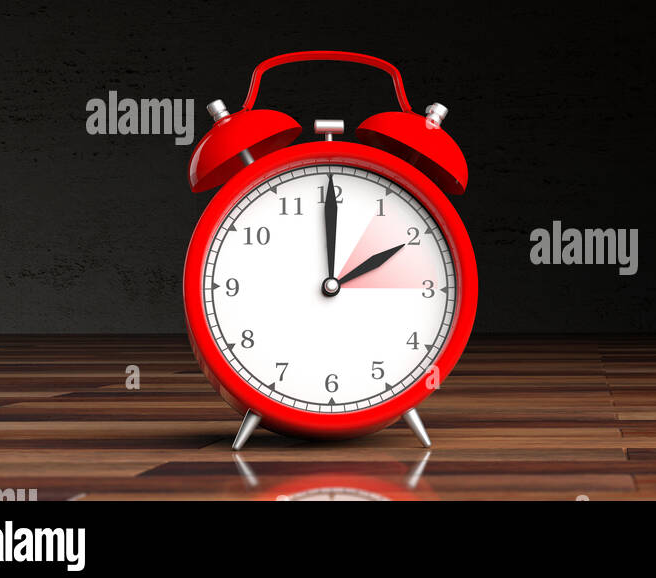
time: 1:59
